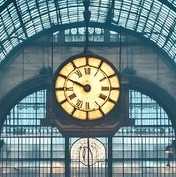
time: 9:49
